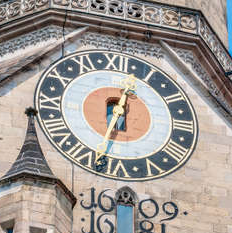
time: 12:32
